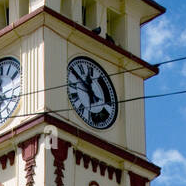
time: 11:50
